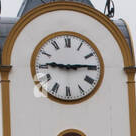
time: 9:13
